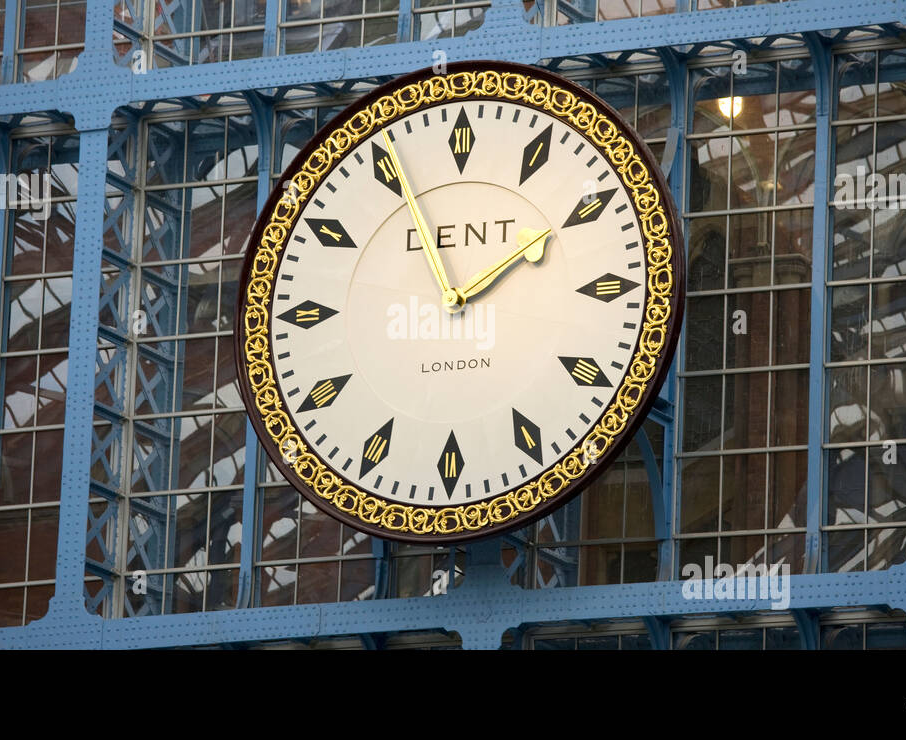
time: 1:56
